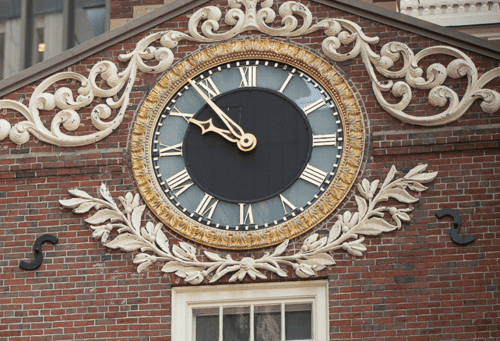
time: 9:53
